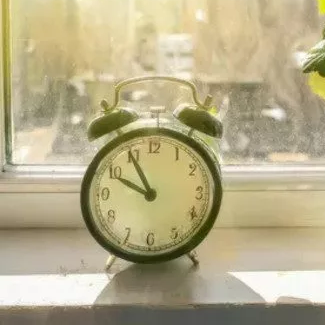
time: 9:55
